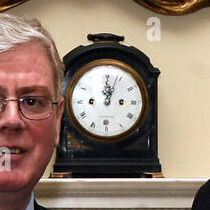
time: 12:03
